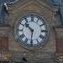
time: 10:31
